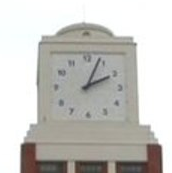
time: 2:03
